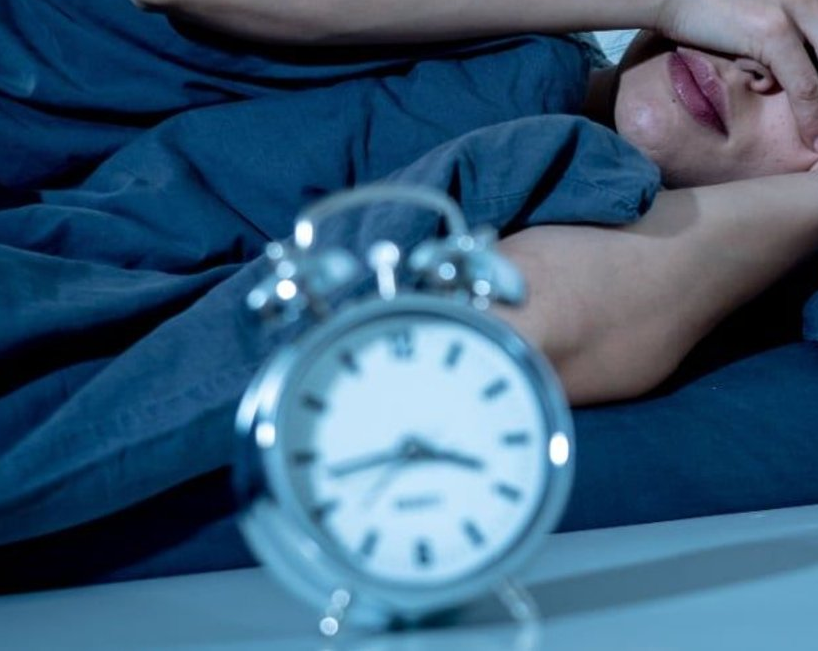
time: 3:42
